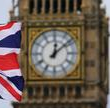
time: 12:08
